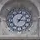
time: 1:16
